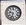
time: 9:33
